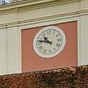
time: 10:47
